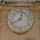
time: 12:40
